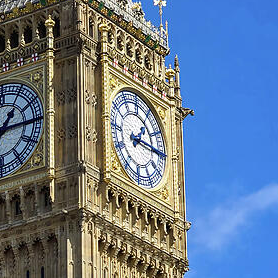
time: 1:15
